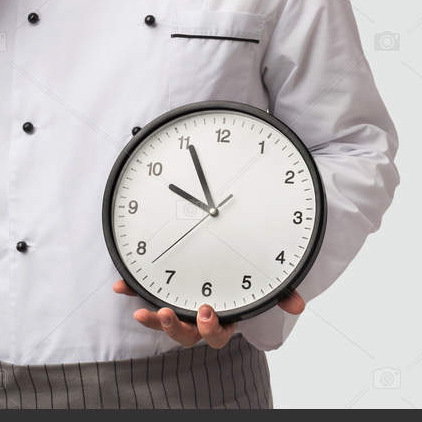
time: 9:55
